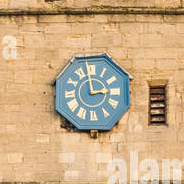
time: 2:58
